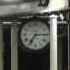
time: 7:14
